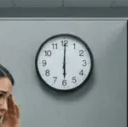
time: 6:00
